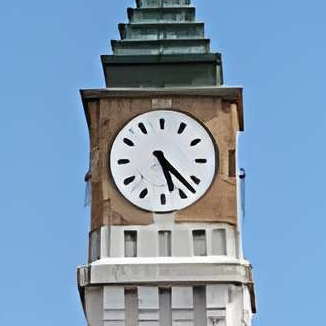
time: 5:22
